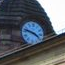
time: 3:47
